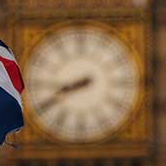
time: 8:40
